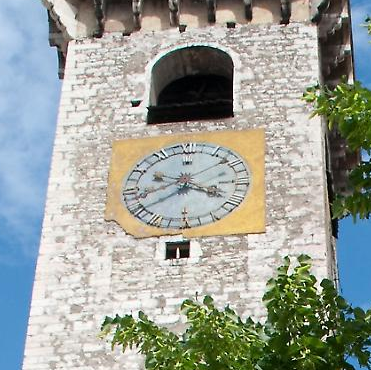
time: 3:40
